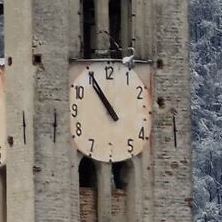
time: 10:55
